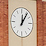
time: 12:06
